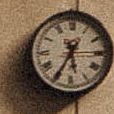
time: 5:35
